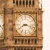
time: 8:17
